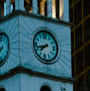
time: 7:42
